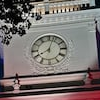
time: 8:02
